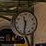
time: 11:32
